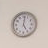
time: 5:01
